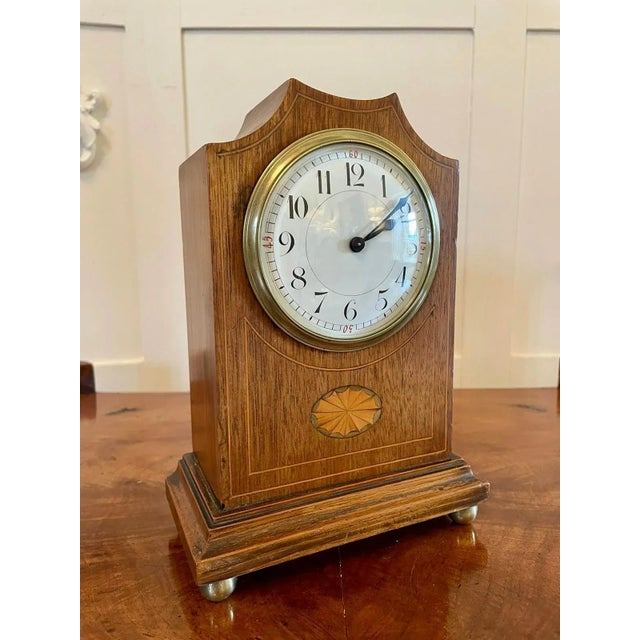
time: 2:10
